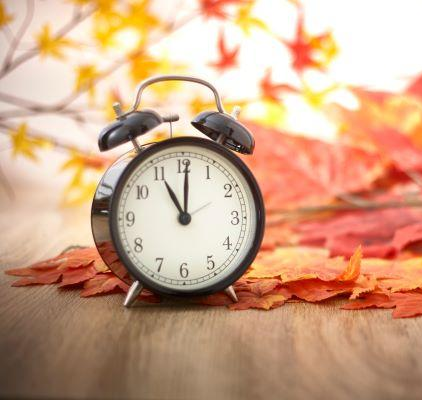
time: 11:00
